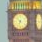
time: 6:52
